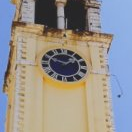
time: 1:49
